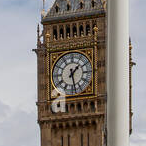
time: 1:28
